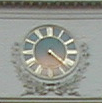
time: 4:21
